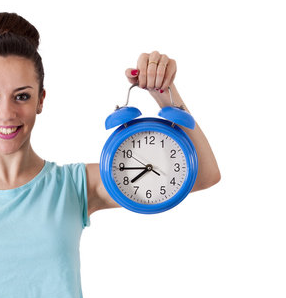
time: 7:44
